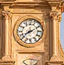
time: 8:10
